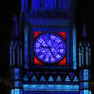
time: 9:25
